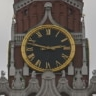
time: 2:47
